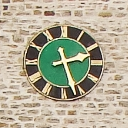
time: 2:26
